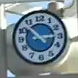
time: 2:53
